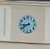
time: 8:39
